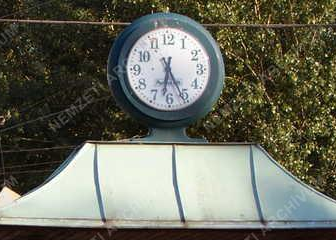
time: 6:25
